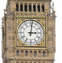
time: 3:01
